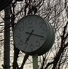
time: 7:18
